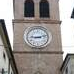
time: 9:12
